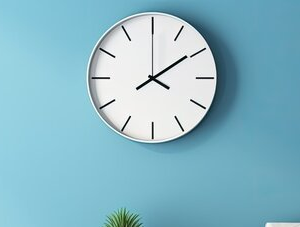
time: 4:09
